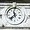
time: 11:37
